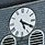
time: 5:19
